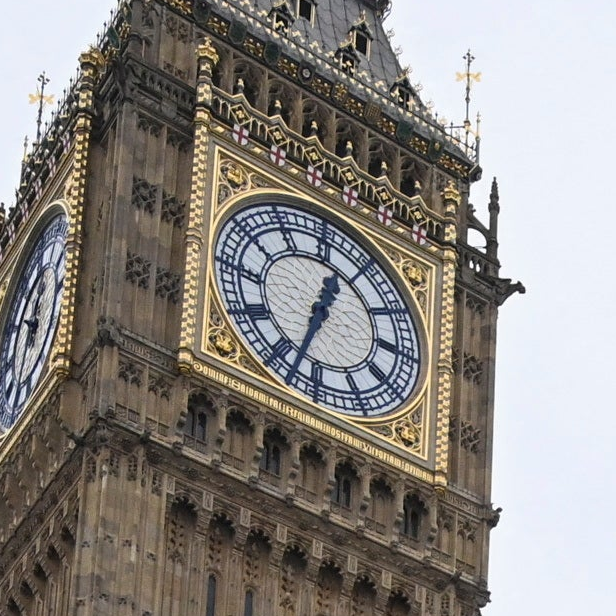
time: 12:32
